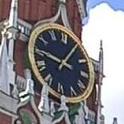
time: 9:05
